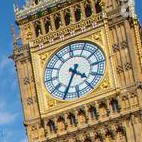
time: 4:34
